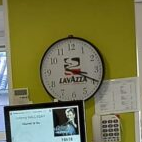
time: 3:19
